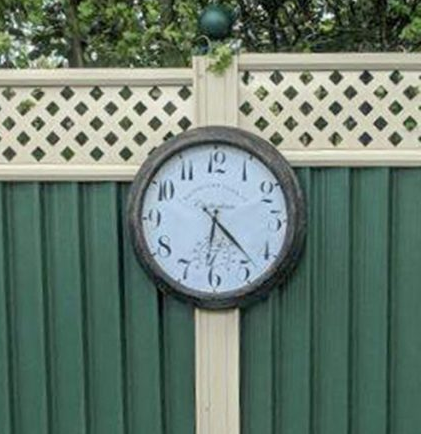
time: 6:22
